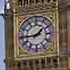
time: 1:44
